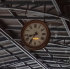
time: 8:36
